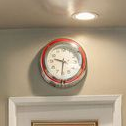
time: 9:31
